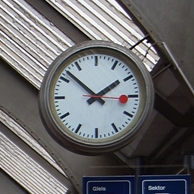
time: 1:52
